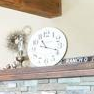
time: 11:18
